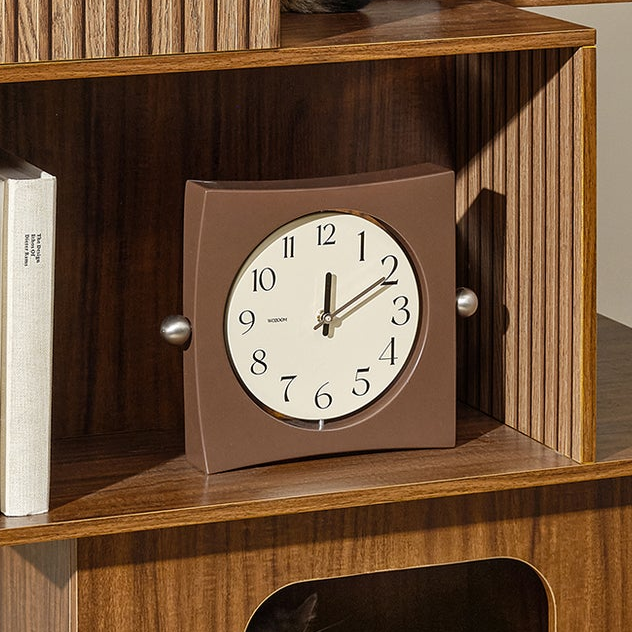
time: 12:10
